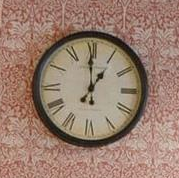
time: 12:59
